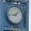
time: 1:43
